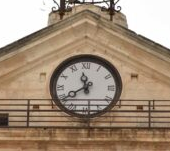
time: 11:39
